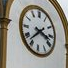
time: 3:37
